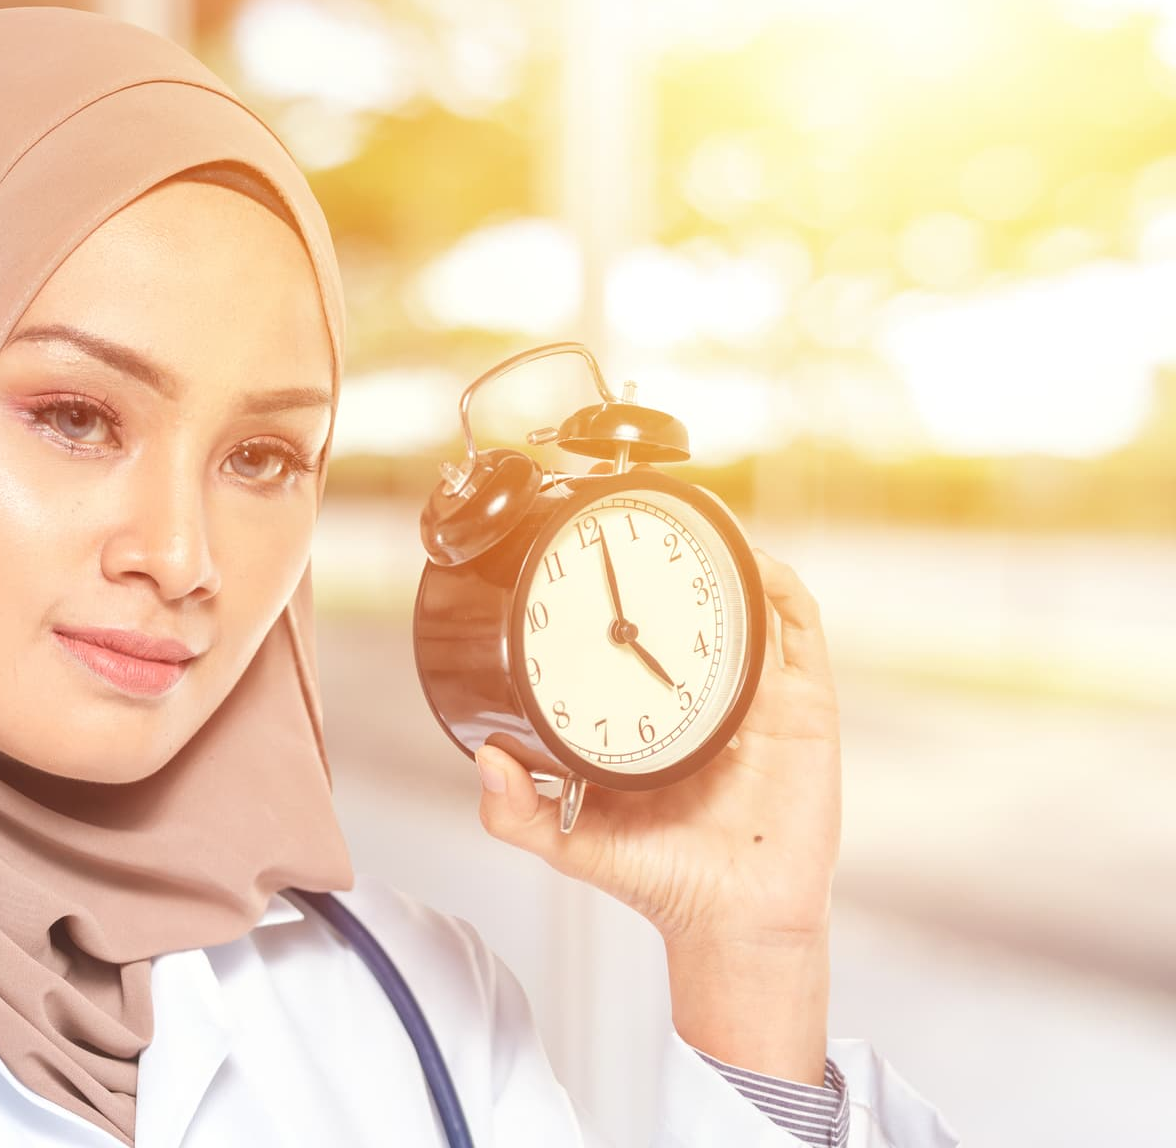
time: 5:01
